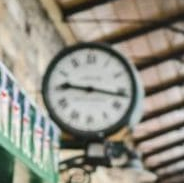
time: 9:16
